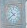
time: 10:39
